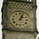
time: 1:03
